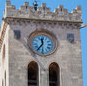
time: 11:36
